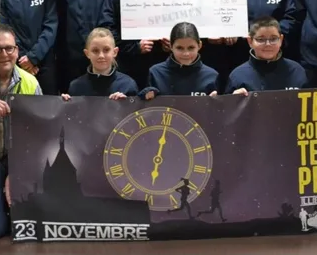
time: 6:00
